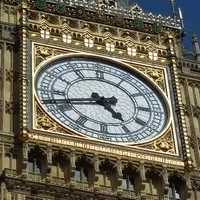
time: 4:42
